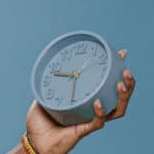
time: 9:30
